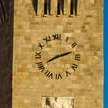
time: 8:12
